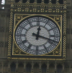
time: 12:18
